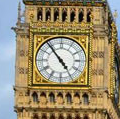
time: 4:53
